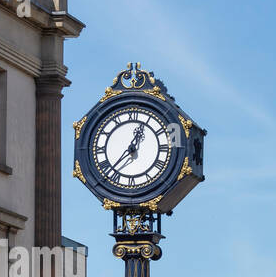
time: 12:37
